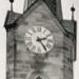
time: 2:24
